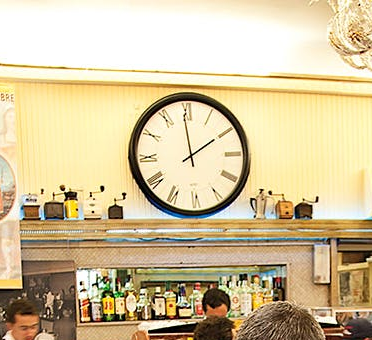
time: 1:59
